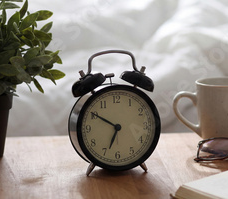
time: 6:50
